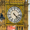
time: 4:22
